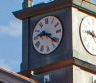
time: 9:21
